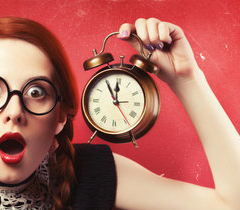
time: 11:55
